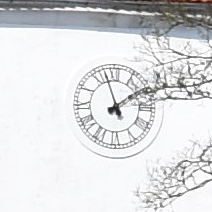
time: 1:57
